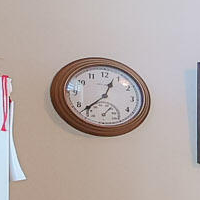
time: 12:37
